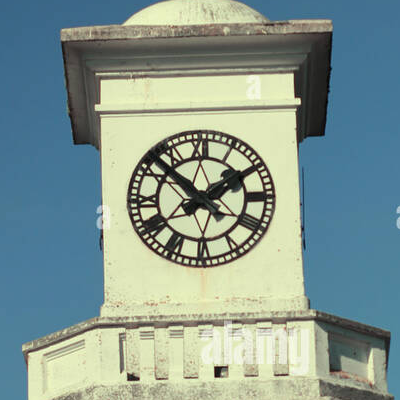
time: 1:52
